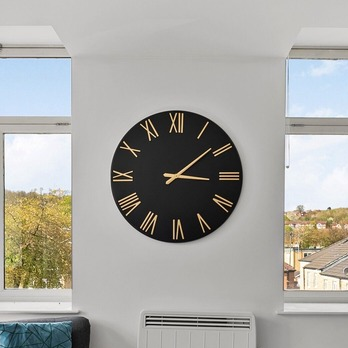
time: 3:08
